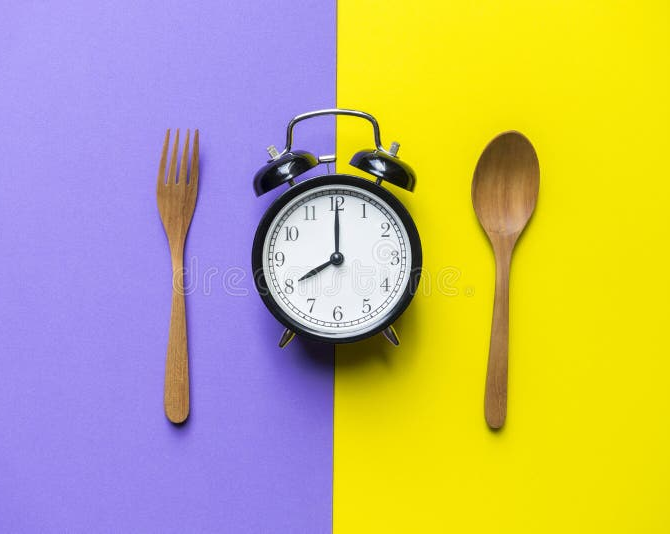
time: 8:00
